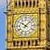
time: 10:07
